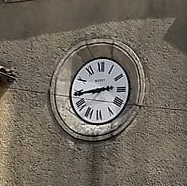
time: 2:44
